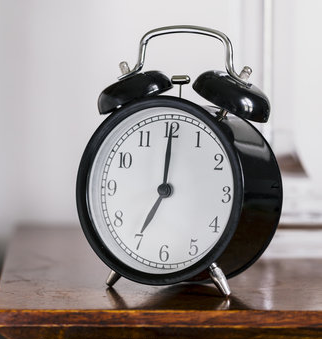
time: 7:00
